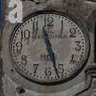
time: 11:27
